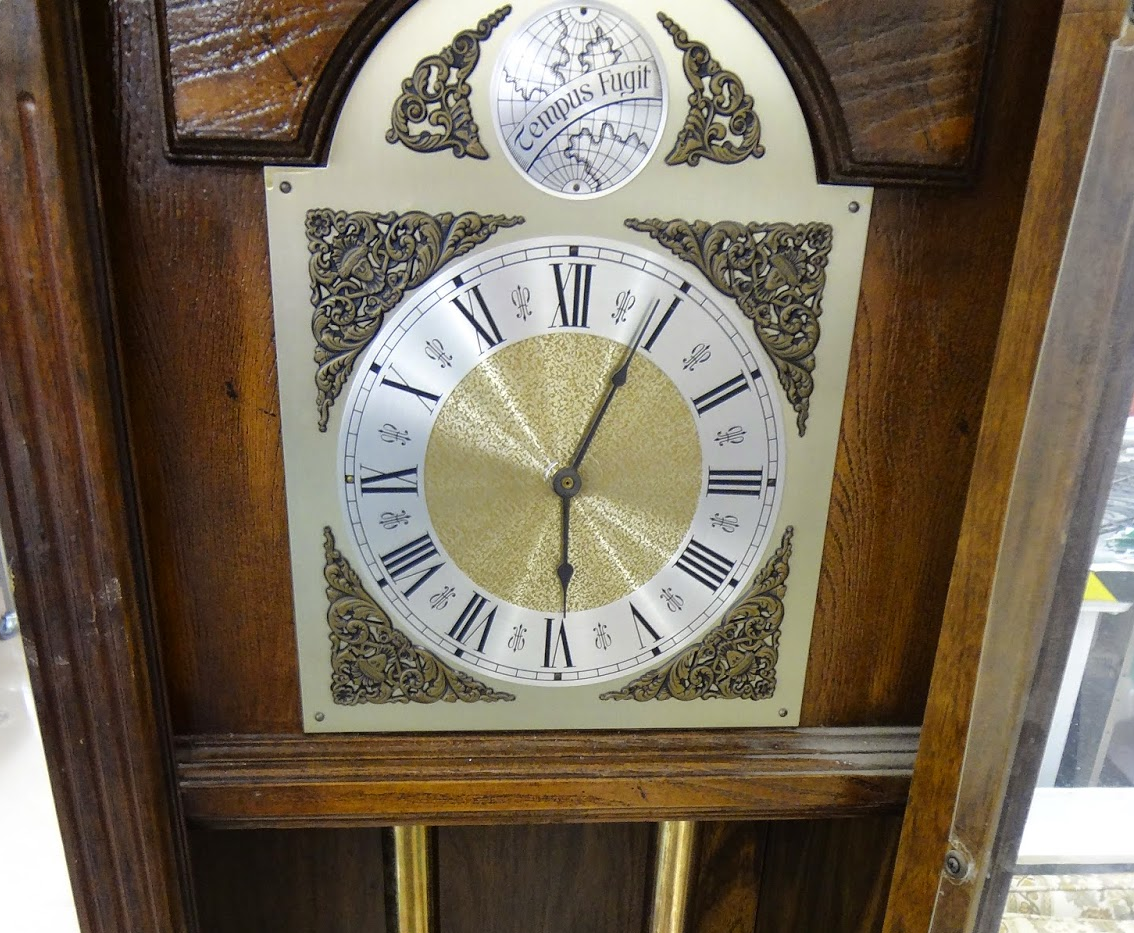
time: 6:04
